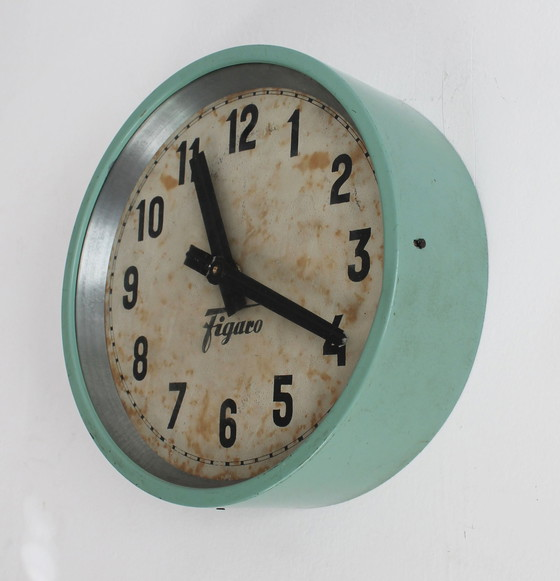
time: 11:19
